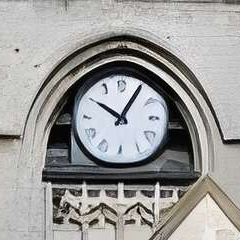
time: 10:05
